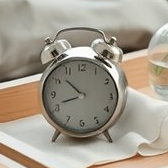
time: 10:41
